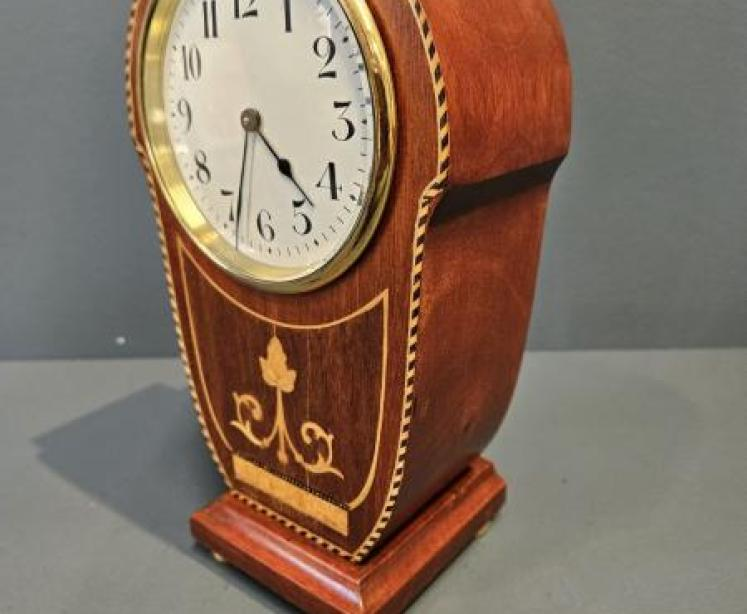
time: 4:33
